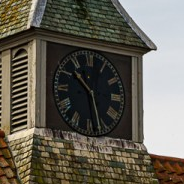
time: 10:28
